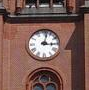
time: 3:02
